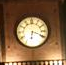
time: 6:18
